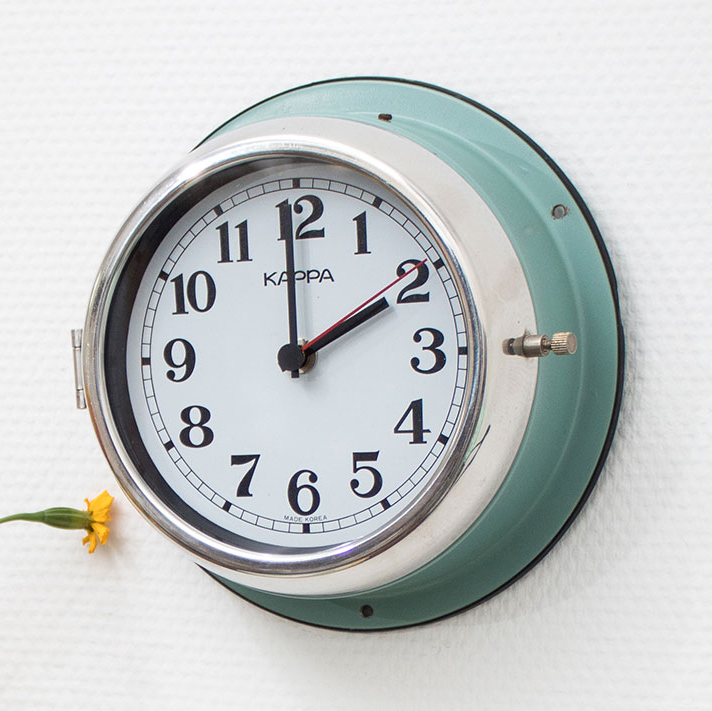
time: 1:59
